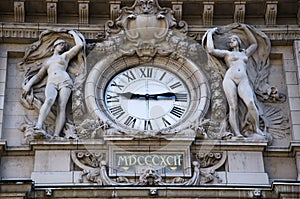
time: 9:13
